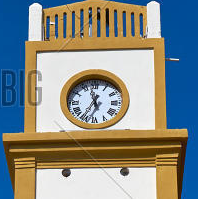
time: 11:35
